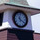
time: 11:20
